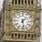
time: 1:28
